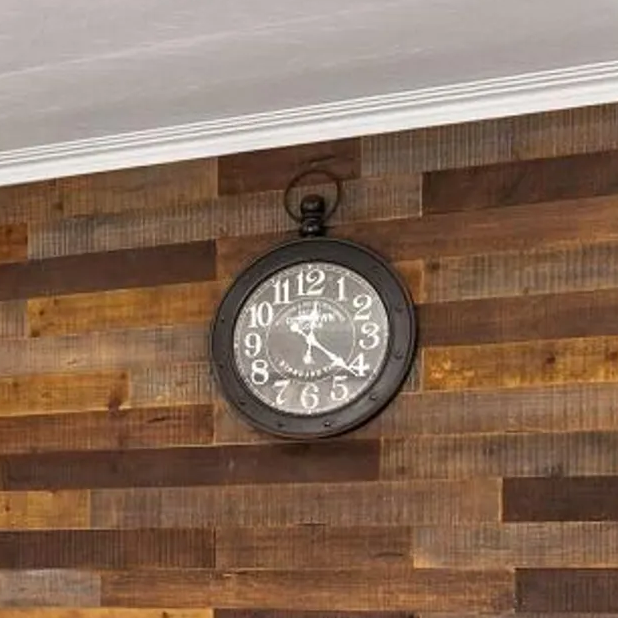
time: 12:21
